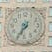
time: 6:34
